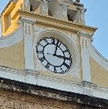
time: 3:02
